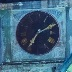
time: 7:10
